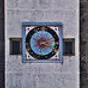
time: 2:18
